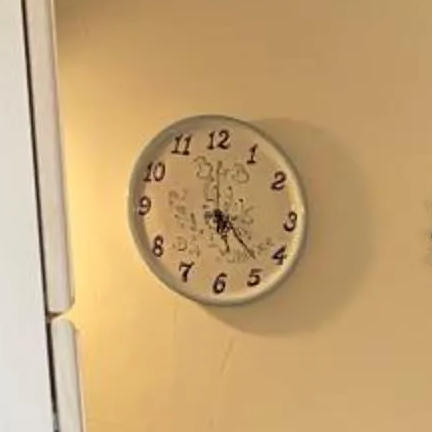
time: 5:22
